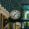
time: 7:08
